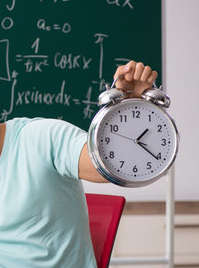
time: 1:21
